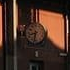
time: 8:32
